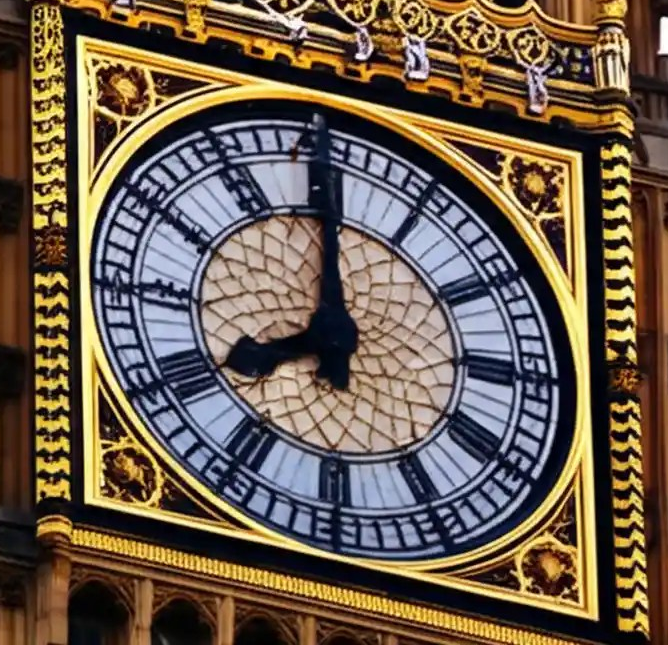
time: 7:59
